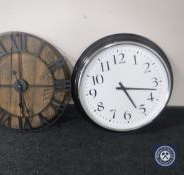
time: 5:17
